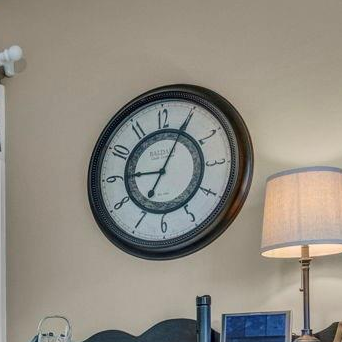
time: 9:04
